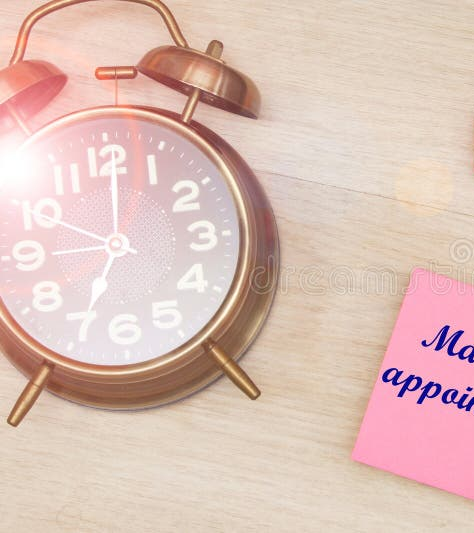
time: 7:00
